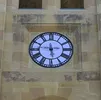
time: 5:46
